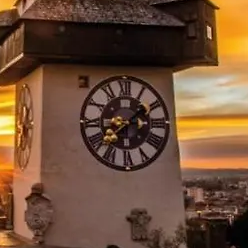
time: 1:38
